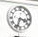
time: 3:33
